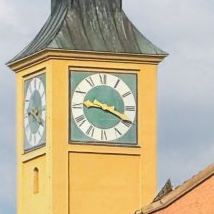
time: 9:19
